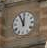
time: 11:55
